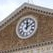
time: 12:10
